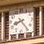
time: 8:23
